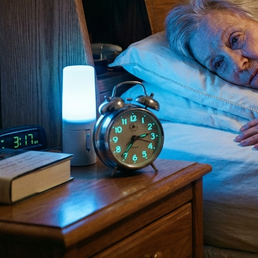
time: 7:12
